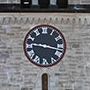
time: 9:17
